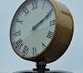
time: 2:11
